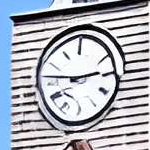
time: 2:46
